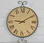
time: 9:09
